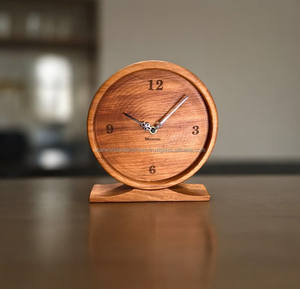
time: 10:07
